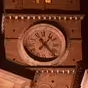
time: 1:23
